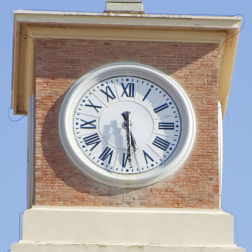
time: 5:29
